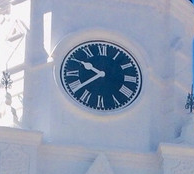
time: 9:38
